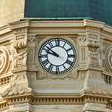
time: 9:51
